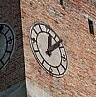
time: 12:07
